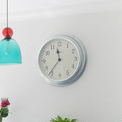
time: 11:36
